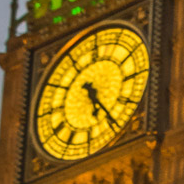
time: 5:24
